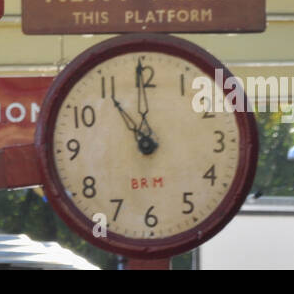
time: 10:59
